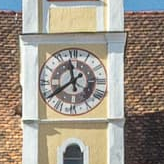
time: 11:39
